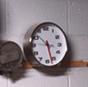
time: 3:27
